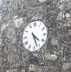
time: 4:26
